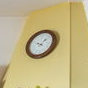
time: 10:07
